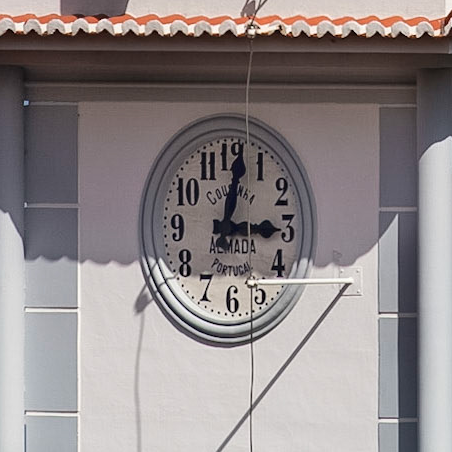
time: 3:01
